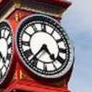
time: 4:36
